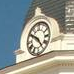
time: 4:50
